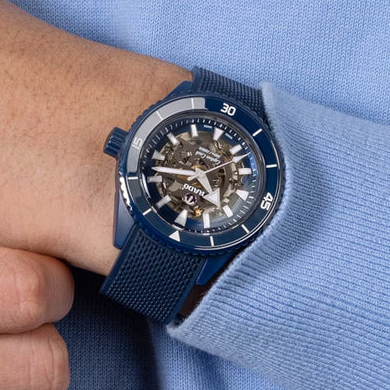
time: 4:46
